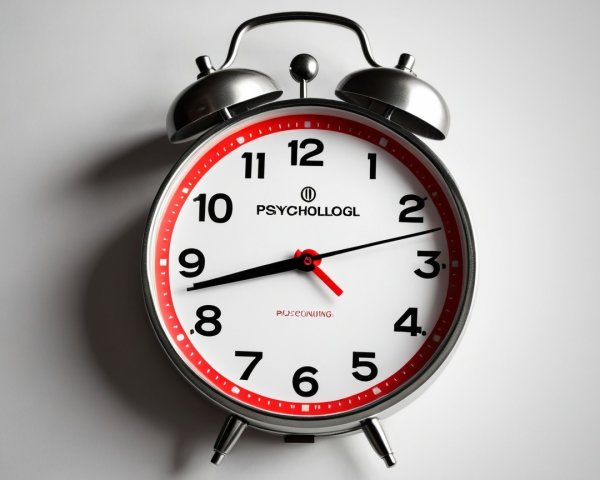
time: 8:42
